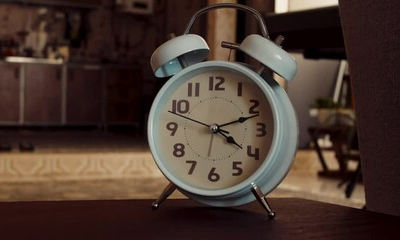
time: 4:11
